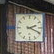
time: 2:18
